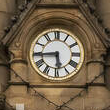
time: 5:44
